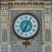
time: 7:05
